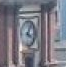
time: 4:04
